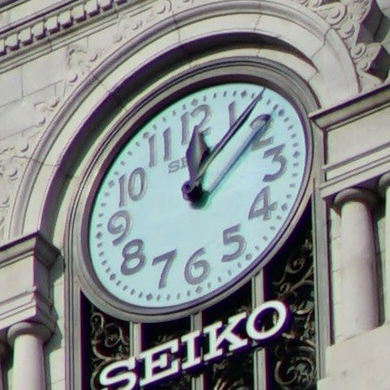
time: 12:07
